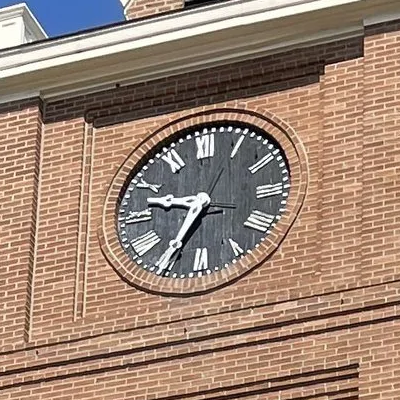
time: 9:34
